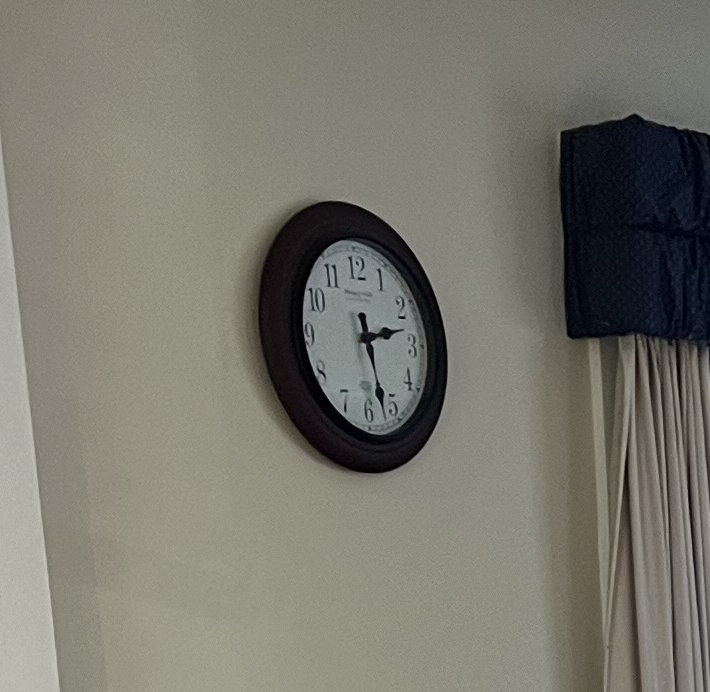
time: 2:27
